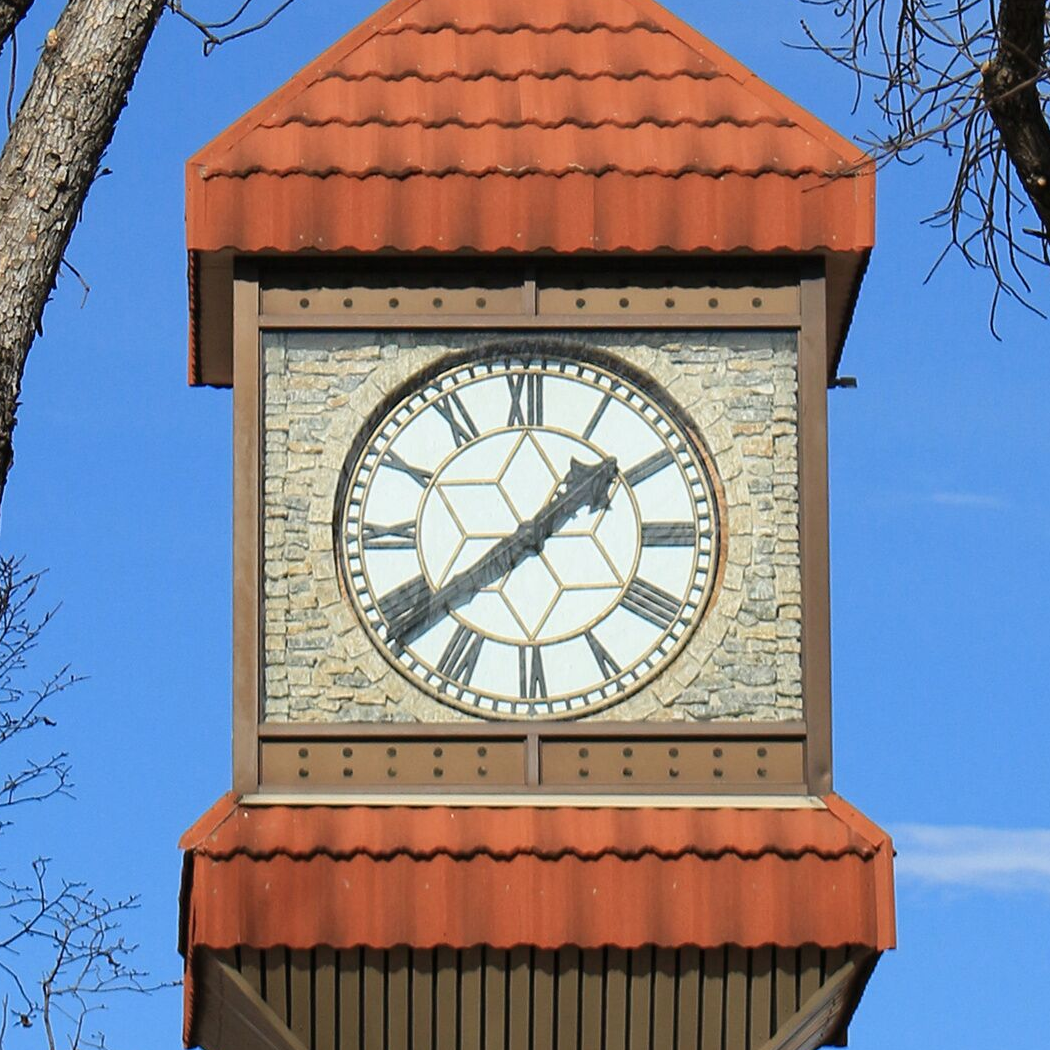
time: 1:38
